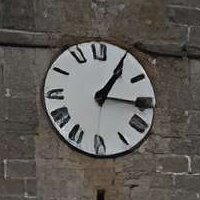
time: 1:16
